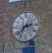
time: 2:37
